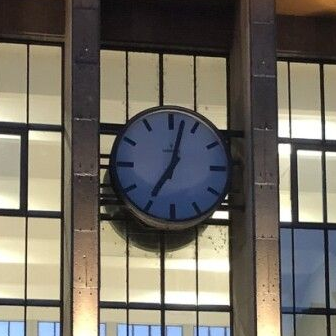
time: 7:02
